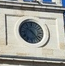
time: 10:23
